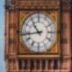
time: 10:43
